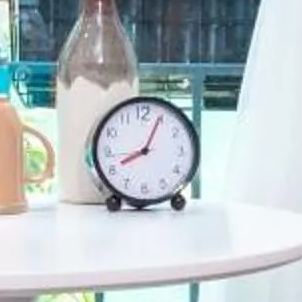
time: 8:04
